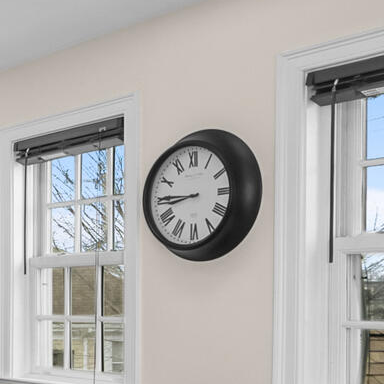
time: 8:45
